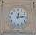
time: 12:14
